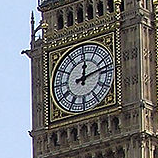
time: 12:12
